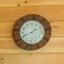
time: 1:41
